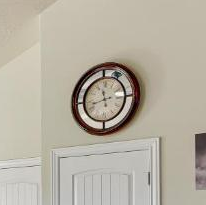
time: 11:42
